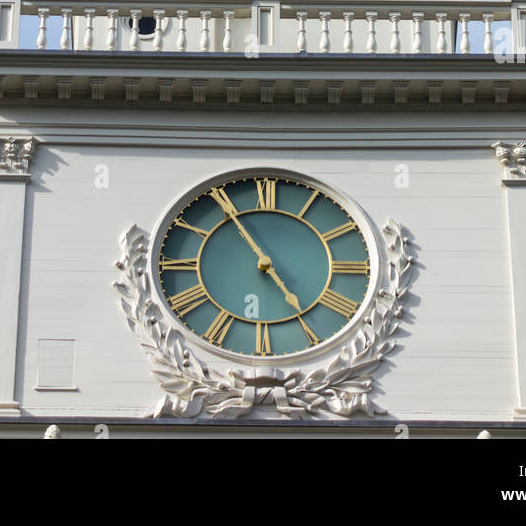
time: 4:54
